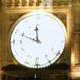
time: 11:48
